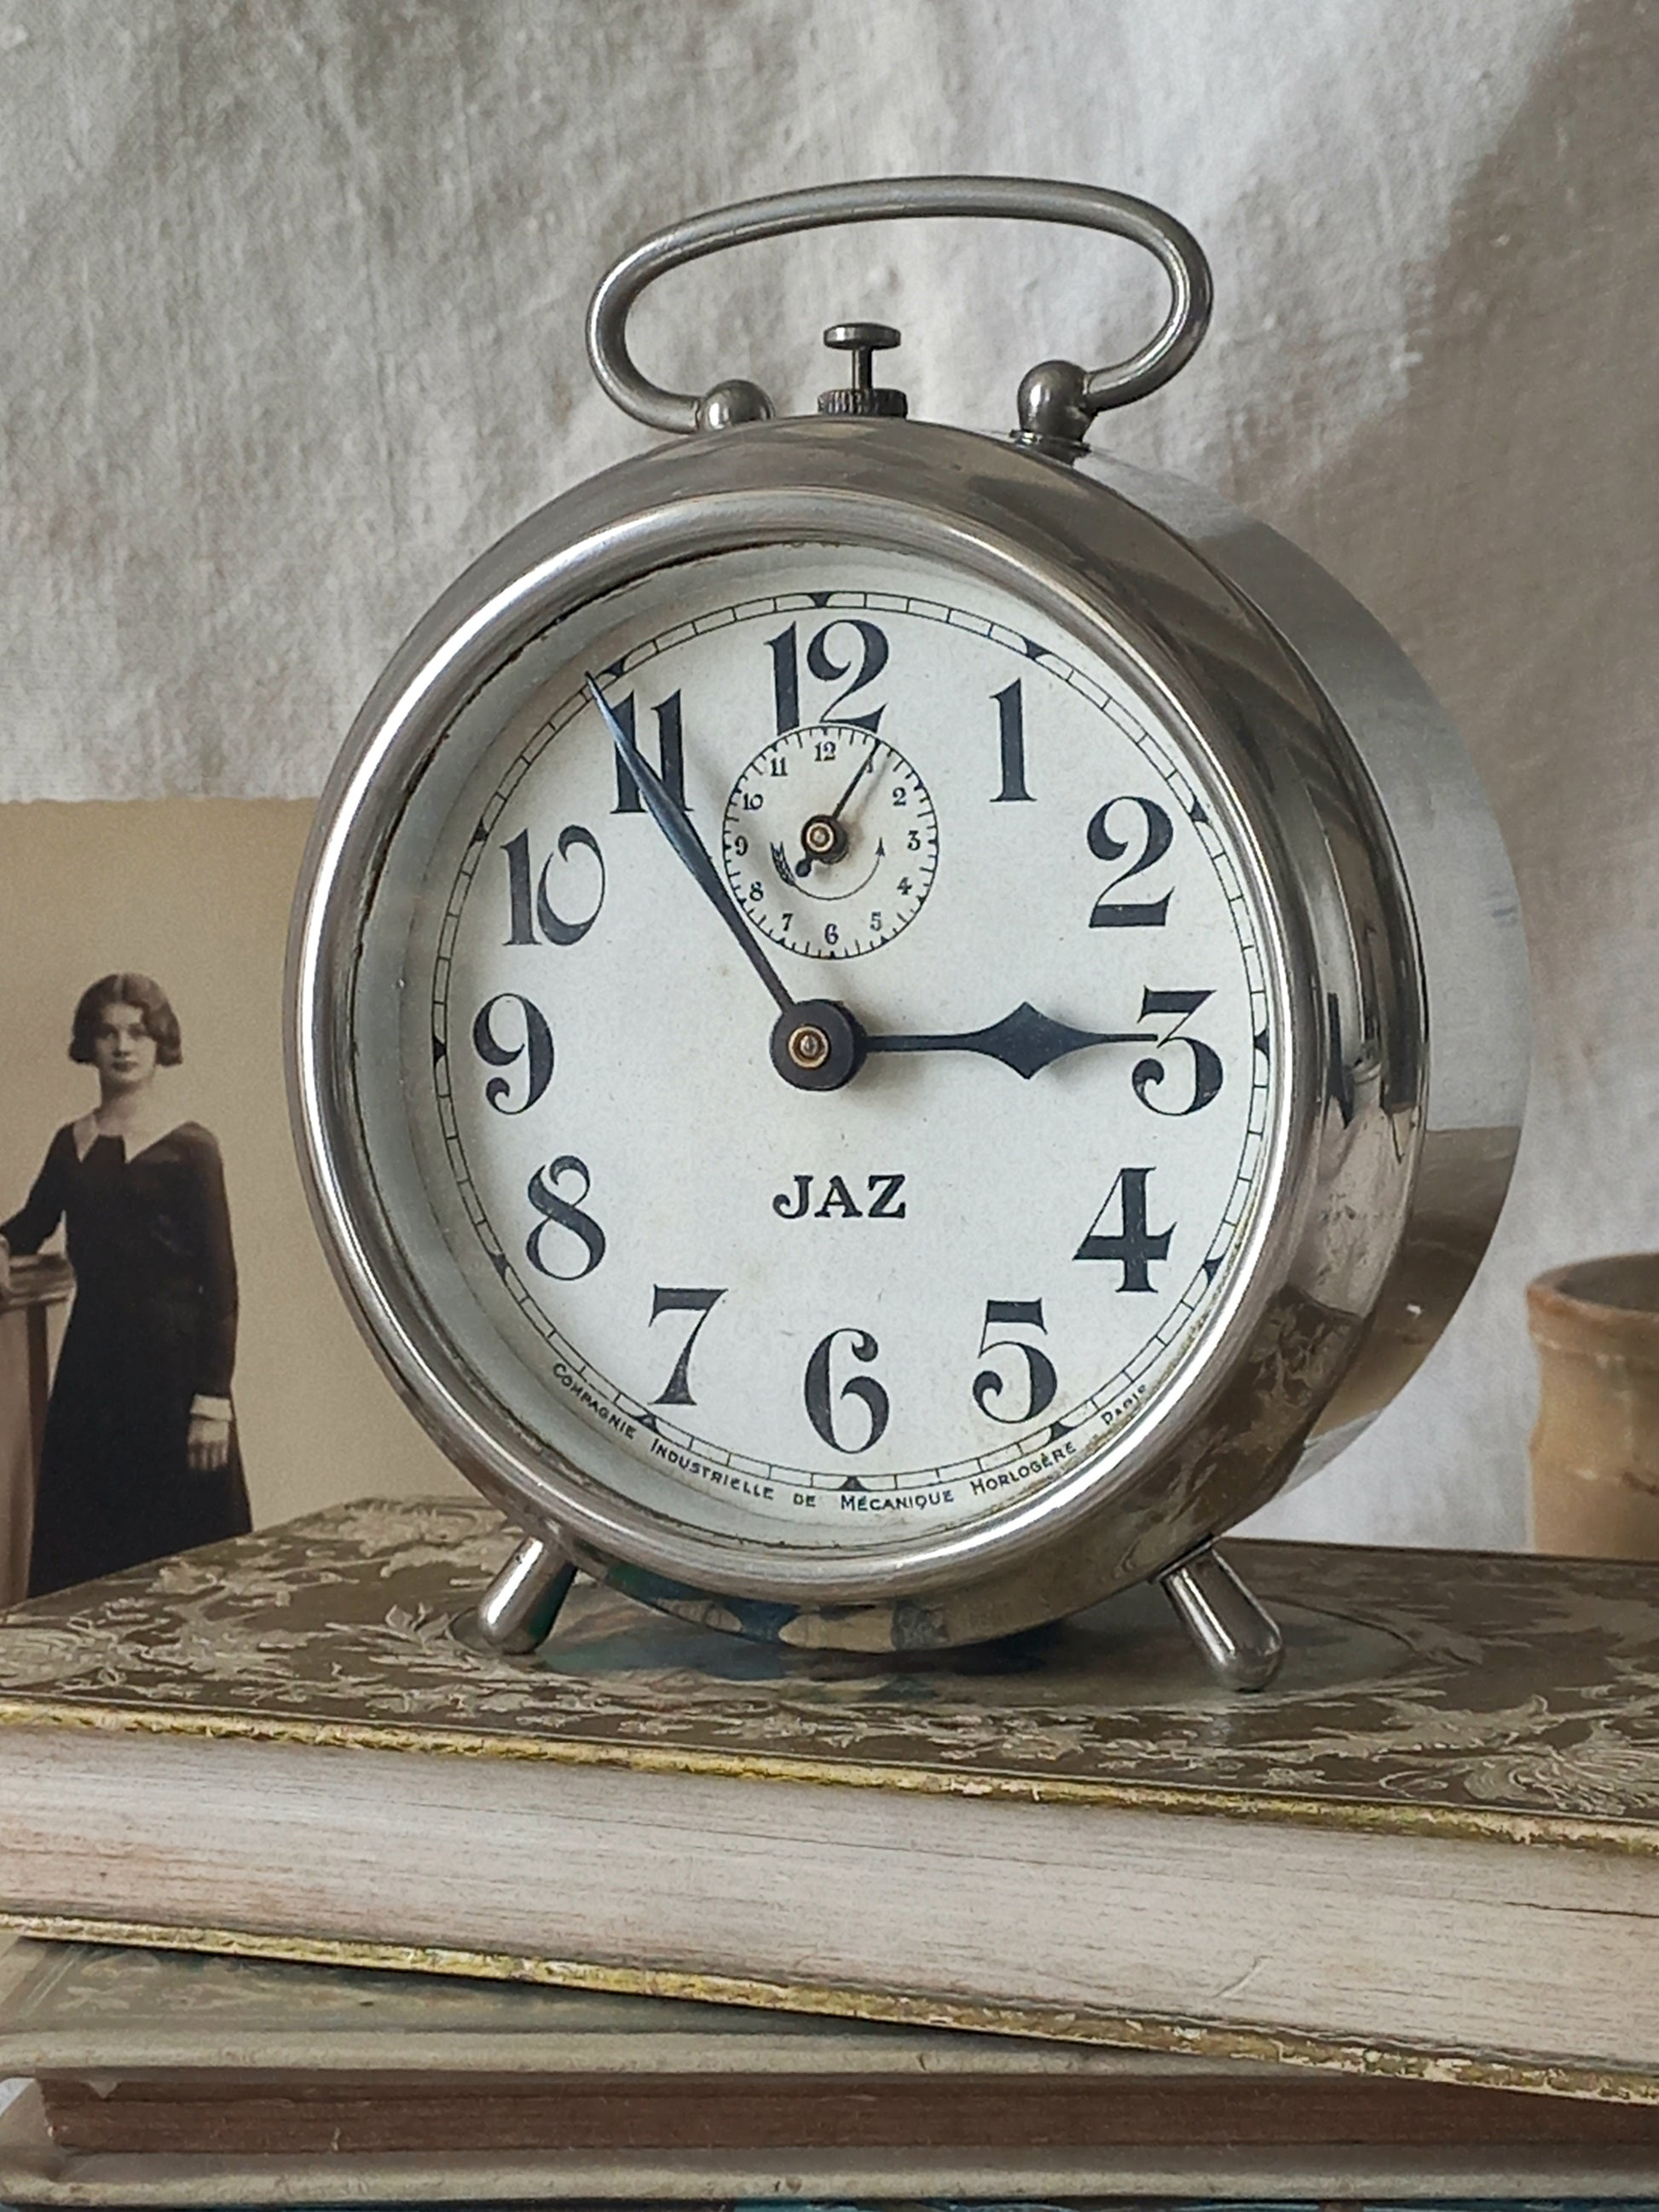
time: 2:54
